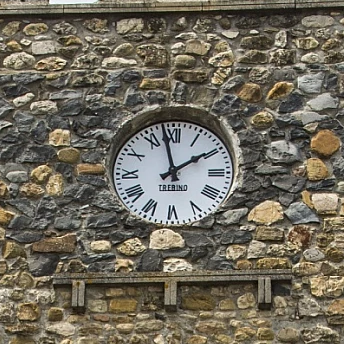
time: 1:57
